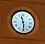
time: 11:29
